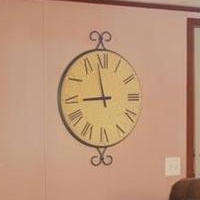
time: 8:58
